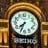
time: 7:33
